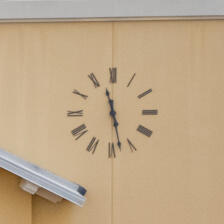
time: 11:28
